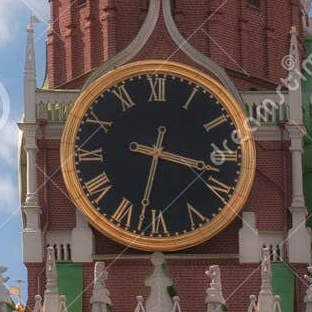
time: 3:32
